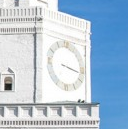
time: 3:16
